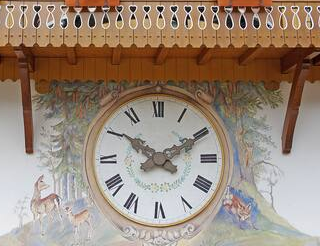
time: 10:10
